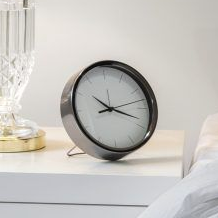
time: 10:18
